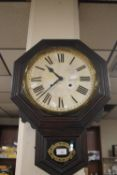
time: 10:37
